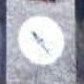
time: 4:22
